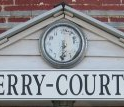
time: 5:30
